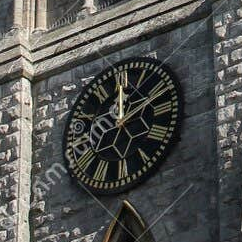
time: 12:11
